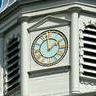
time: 1:59
